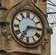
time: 7:15
